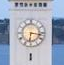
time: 6:16
